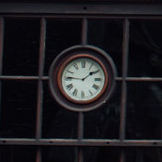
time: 1:46
